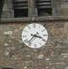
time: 3:37
